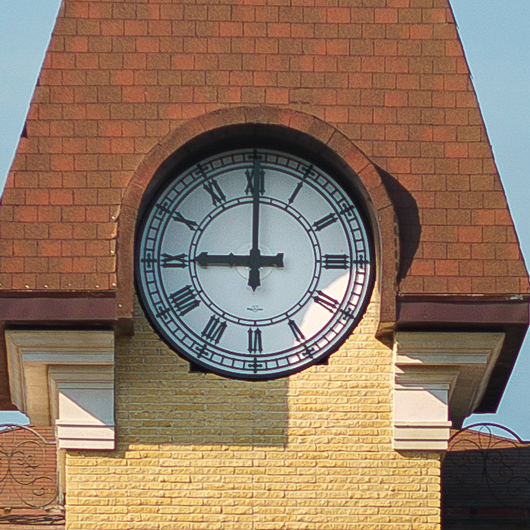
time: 9:00
